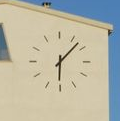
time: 6:07
